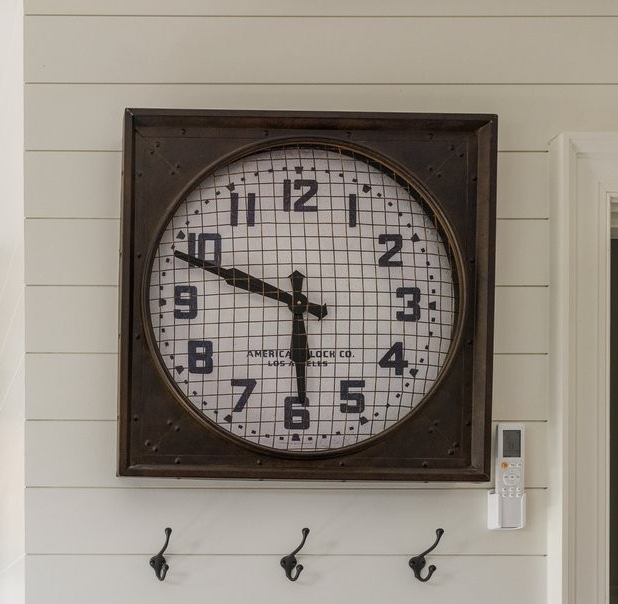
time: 5:48
